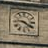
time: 9:20
